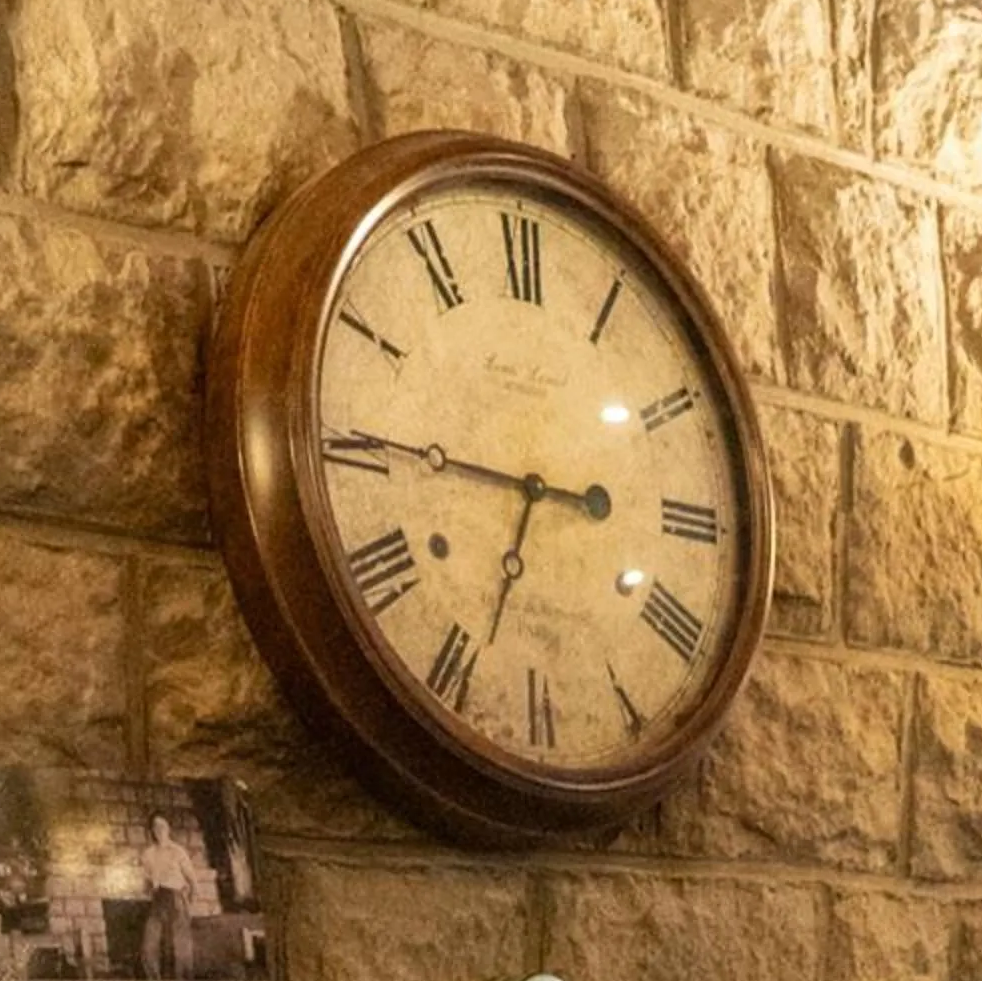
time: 6:45
